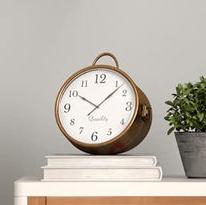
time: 10:07
